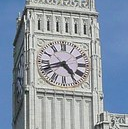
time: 4:42
